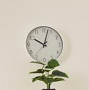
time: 10:02
